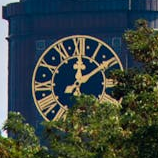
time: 12:09
